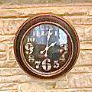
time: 2:01
